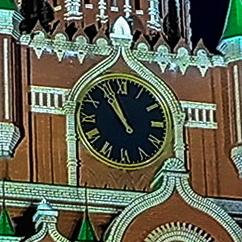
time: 10:56
